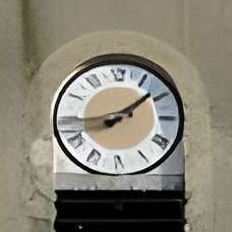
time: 1:43
